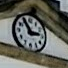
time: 2:54
